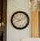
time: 8:11
